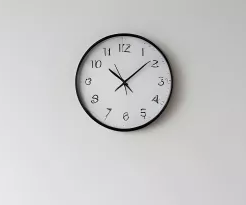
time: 10:08
